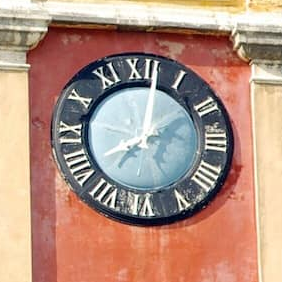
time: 8:01
